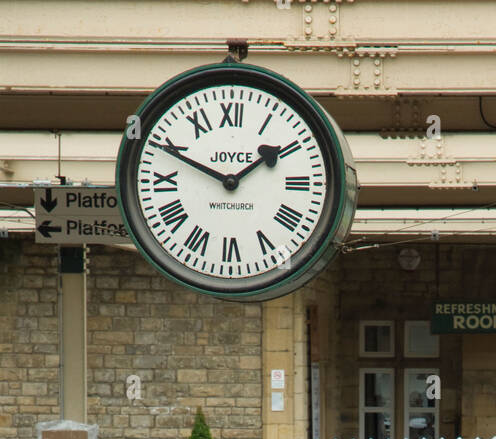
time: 1:49
